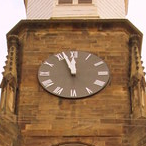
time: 11:56
